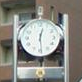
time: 12:29
